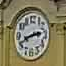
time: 2:41
